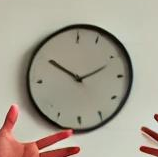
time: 10:11
